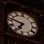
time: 6:47
